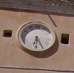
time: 6:25
